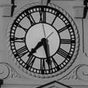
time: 7:27
